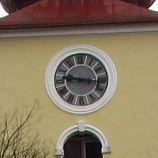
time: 9:16
